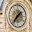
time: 1:36
